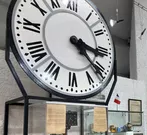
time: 3:21
